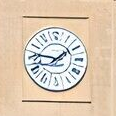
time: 1:46
